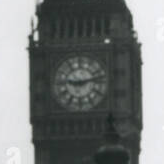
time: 9:12
